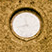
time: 11:42
